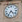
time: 4:36
